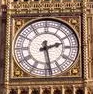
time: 2:28
